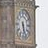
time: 5:26
